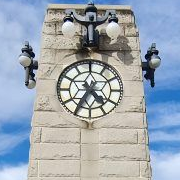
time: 4:35
